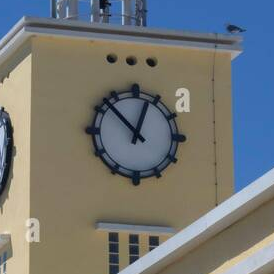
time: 12:52
